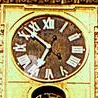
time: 6:52
